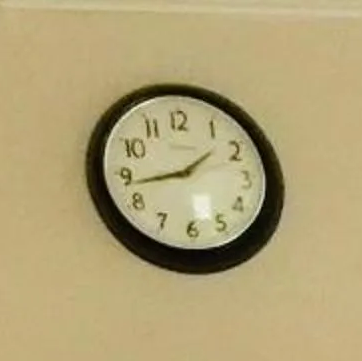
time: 1:43
